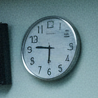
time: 5:46
